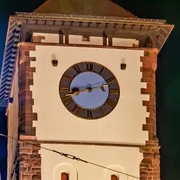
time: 8:12
